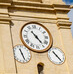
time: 4:54
